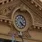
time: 4:21
